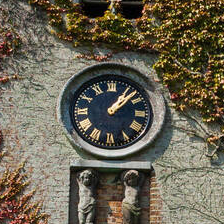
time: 1:07
